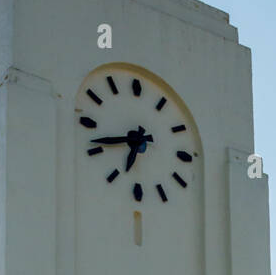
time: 6:41
